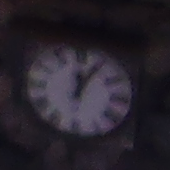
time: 12:04
